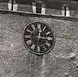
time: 12:14
